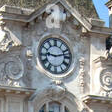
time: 9:12
